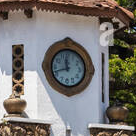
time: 11:42
